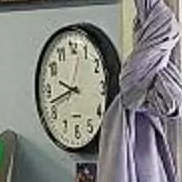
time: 9:42
